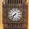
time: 7:36
